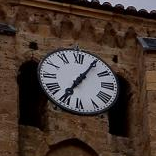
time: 7:05
